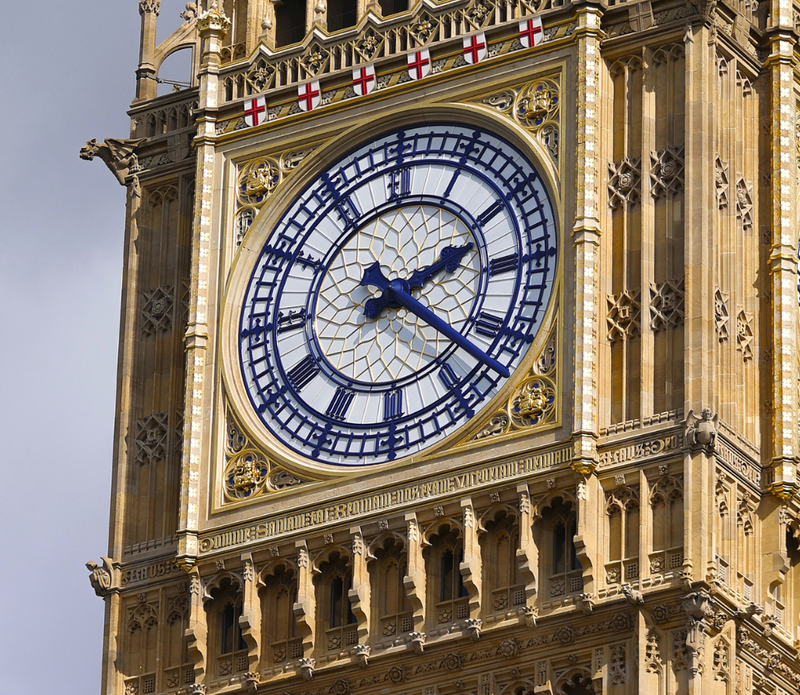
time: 2:21
